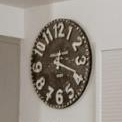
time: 12:18
